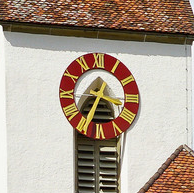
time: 3:34
